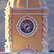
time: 7:11
